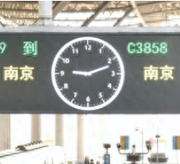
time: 9:11
